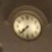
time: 7:37
